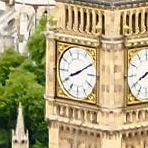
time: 8:10
